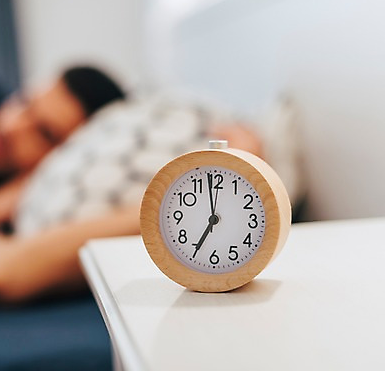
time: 6:58
